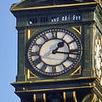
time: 1:16
